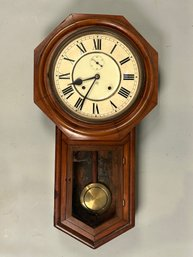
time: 8:34
